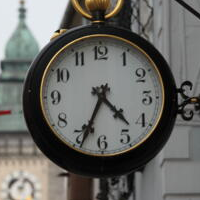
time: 4:34
